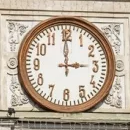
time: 2:59
